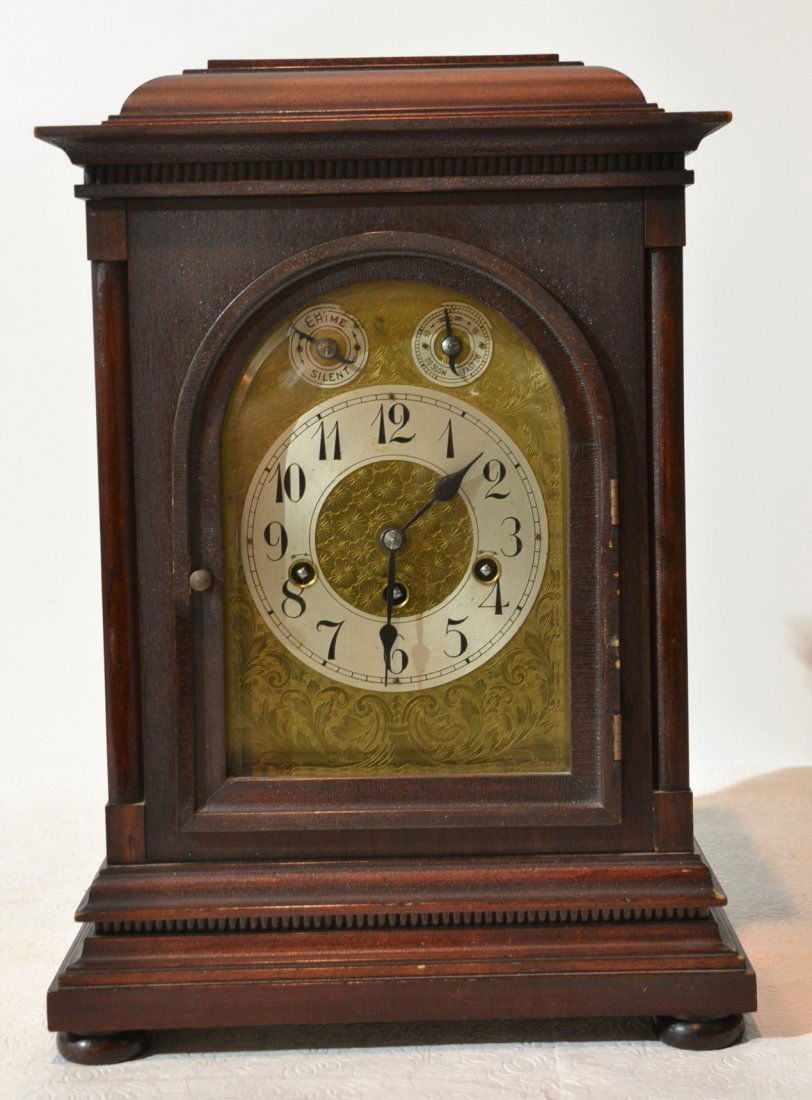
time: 1:31
